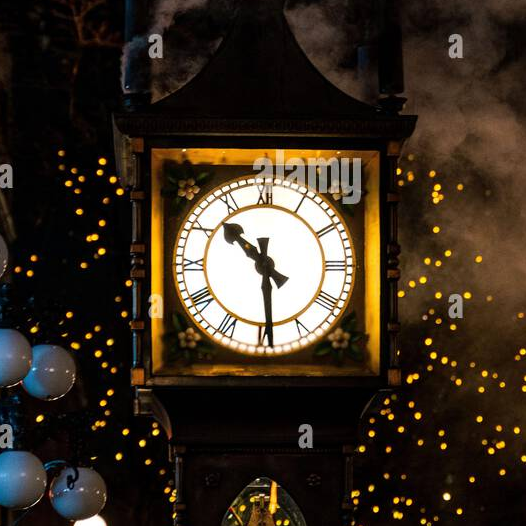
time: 10:29
